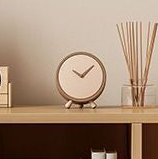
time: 10:07
